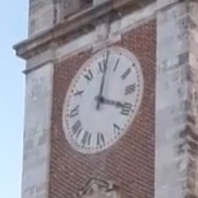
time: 12:19
